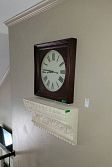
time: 8:45
